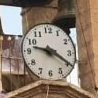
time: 9:20
